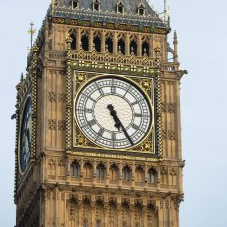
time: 5:24
